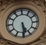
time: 5:29
